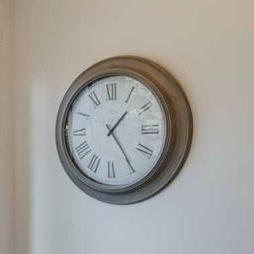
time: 1:24
